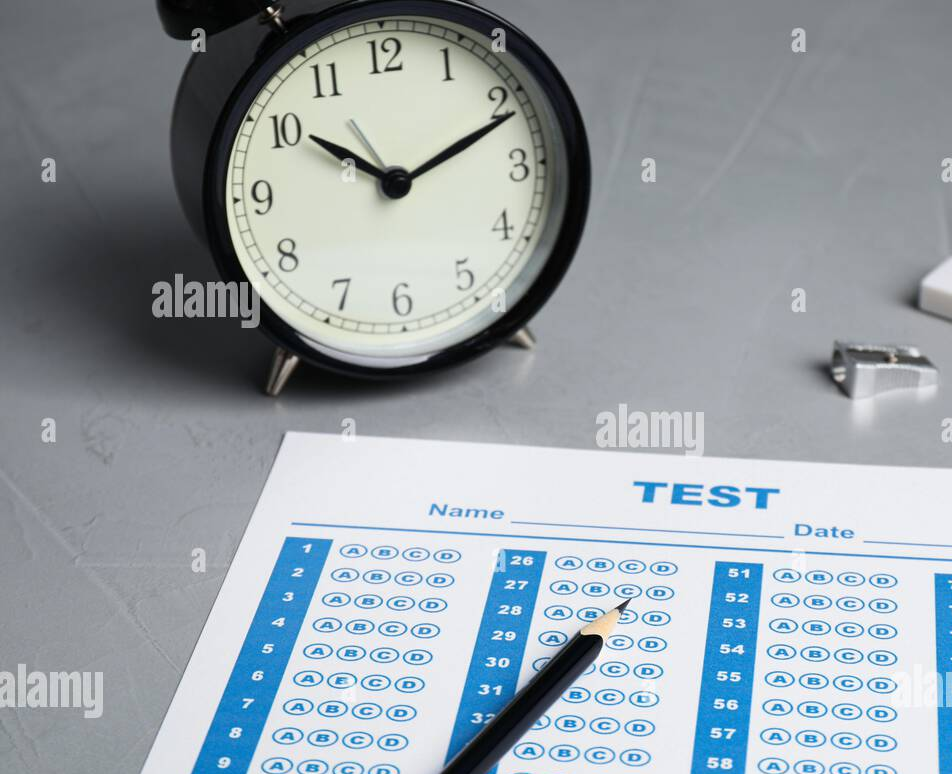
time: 10:11
